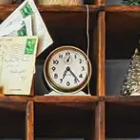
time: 4:34
